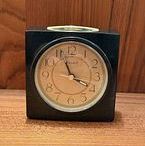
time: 3:56
